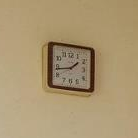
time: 1:43
